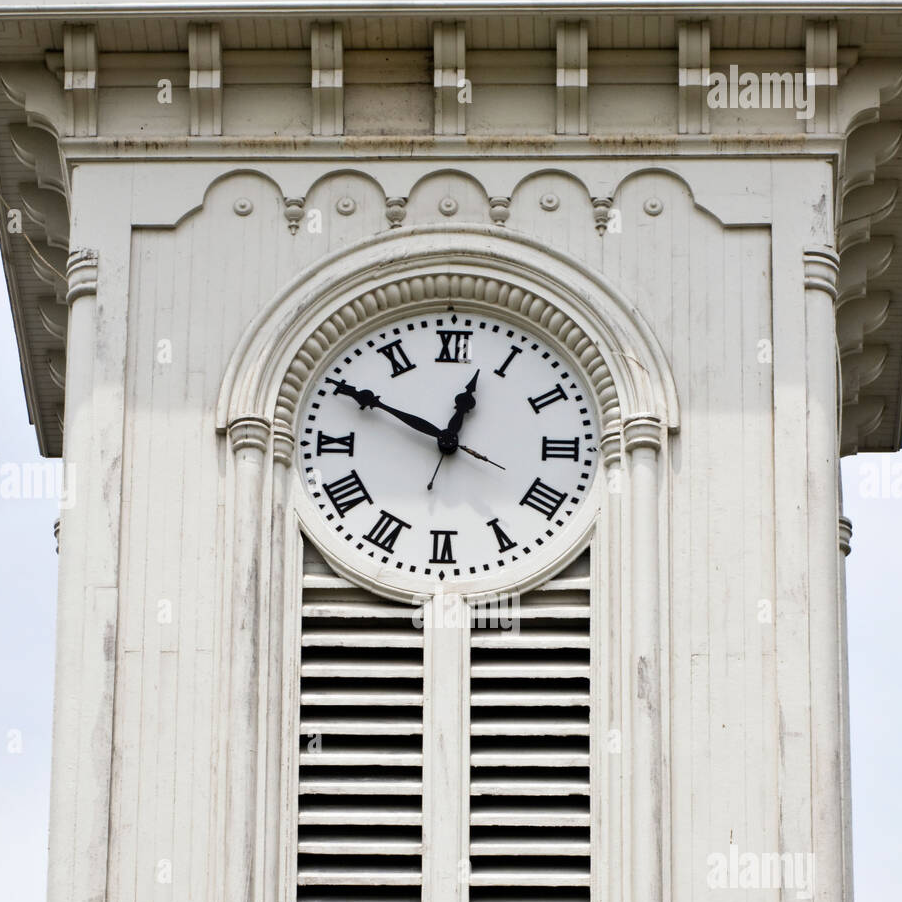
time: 12:49
